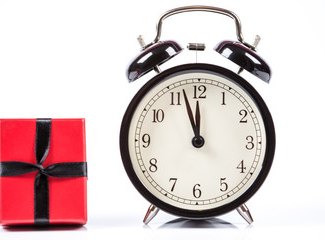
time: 11:57
